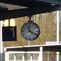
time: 11:19
